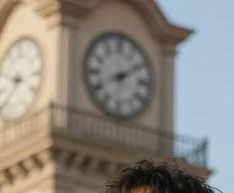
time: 8:09
